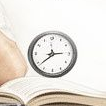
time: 2:38
